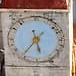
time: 5:36
